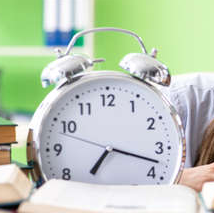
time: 7:17
